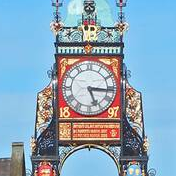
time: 5:16
